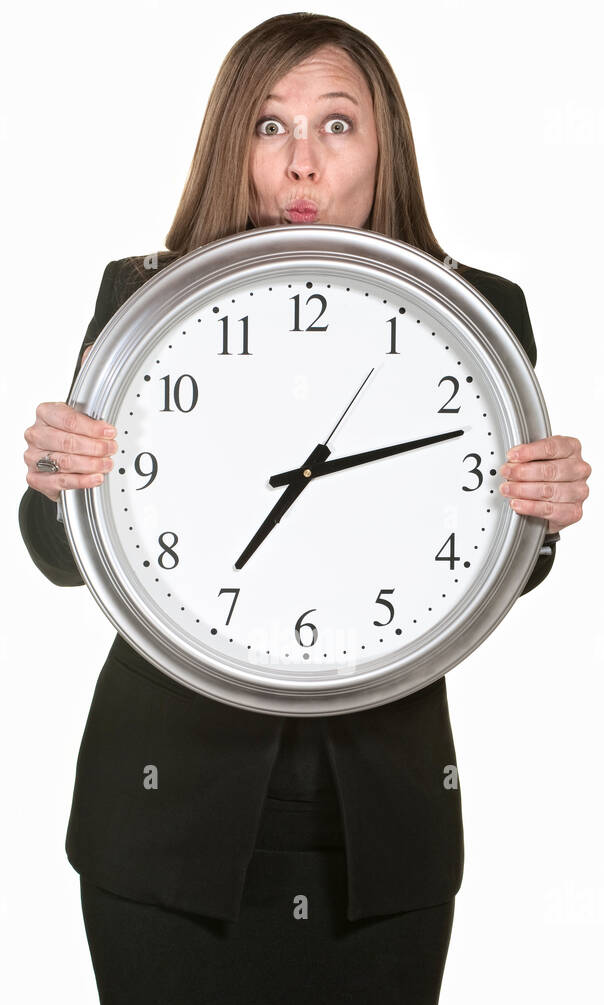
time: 7:12
